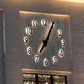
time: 7:04
